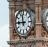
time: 11:45
